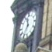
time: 11:35
